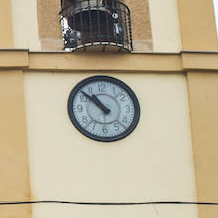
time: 10:52
